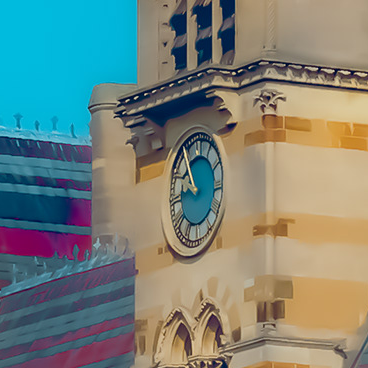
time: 9:53
